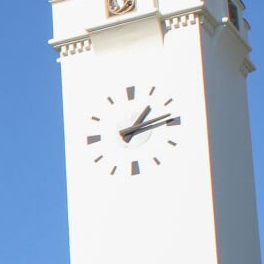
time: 1:13
